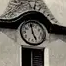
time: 4:58
